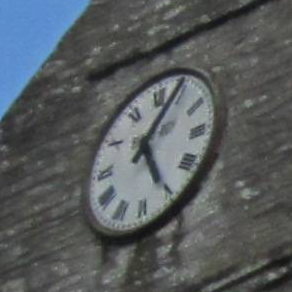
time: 5:05
